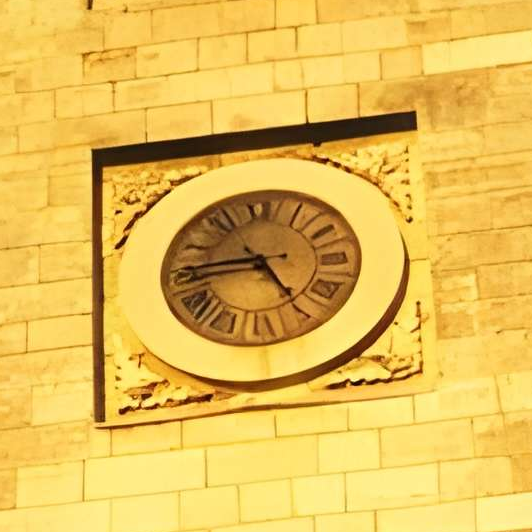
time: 4:44
